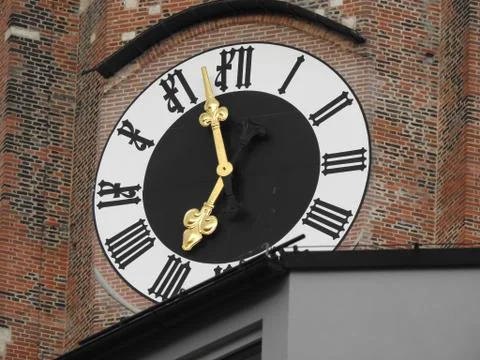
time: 6:58
